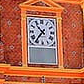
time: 10:36
